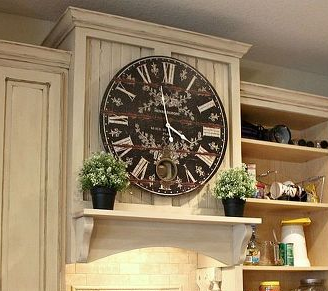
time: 3:58
